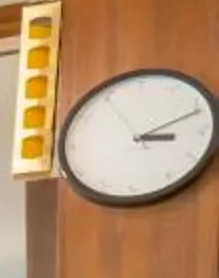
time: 3:11
